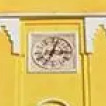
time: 3:02
